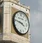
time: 3:46
